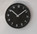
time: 10:07
